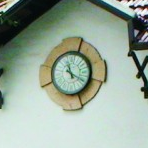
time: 11:19
